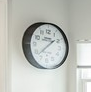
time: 1:37
